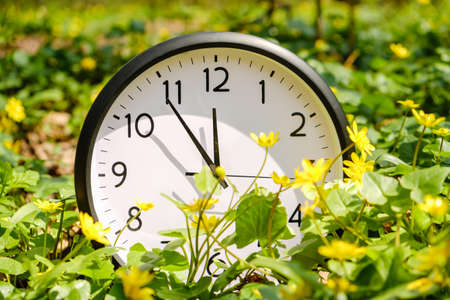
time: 11:53
